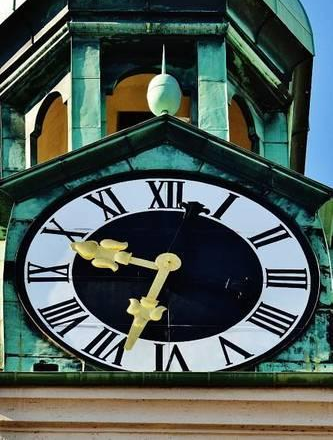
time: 9:33
